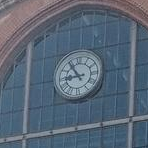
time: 8:54
